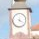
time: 4:20
